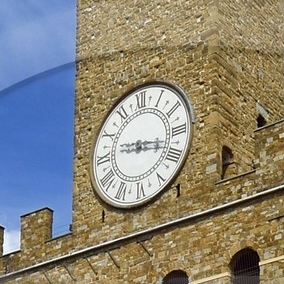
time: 9:17
